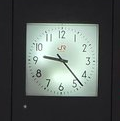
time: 9:23
